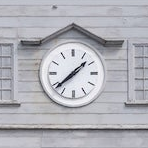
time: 1:38
